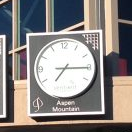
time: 7:15
